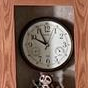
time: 9:55
